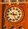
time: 9:26
